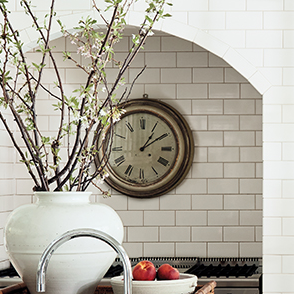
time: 1:09
